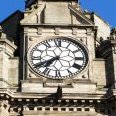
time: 7:40
